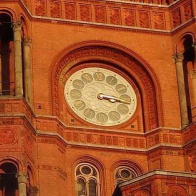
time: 3:17
